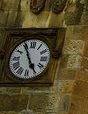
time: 4:55
